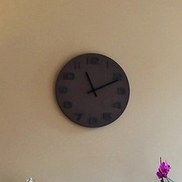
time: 11:11
